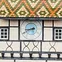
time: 8:40
